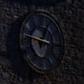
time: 12:46
